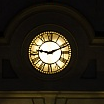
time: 9:11
